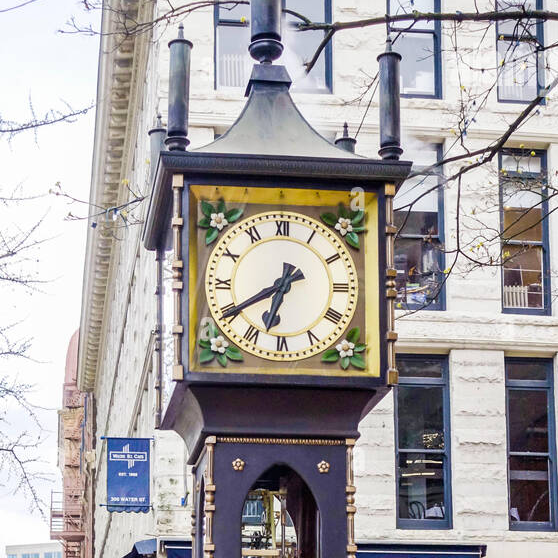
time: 6:39
